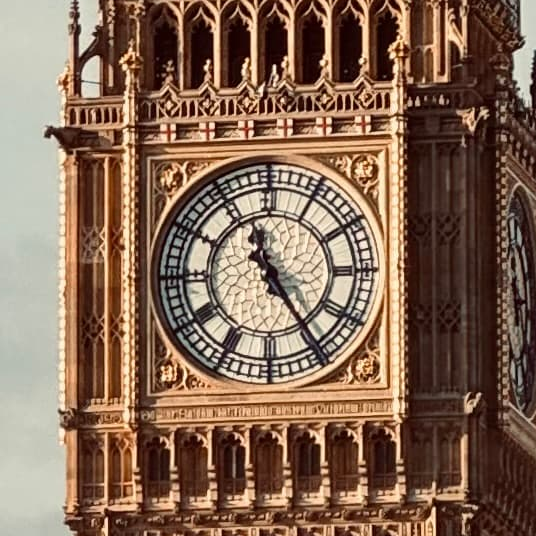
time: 11:24
